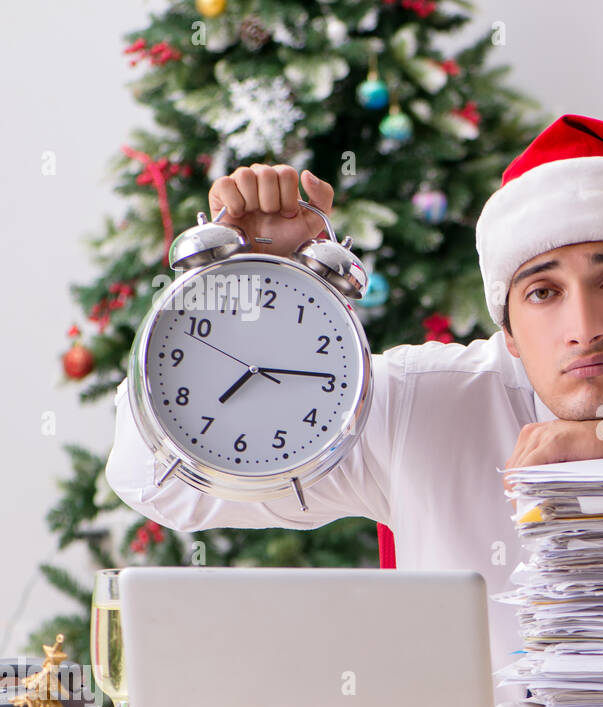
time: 7:14
